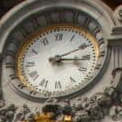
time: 3:11
